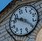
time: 9:20
